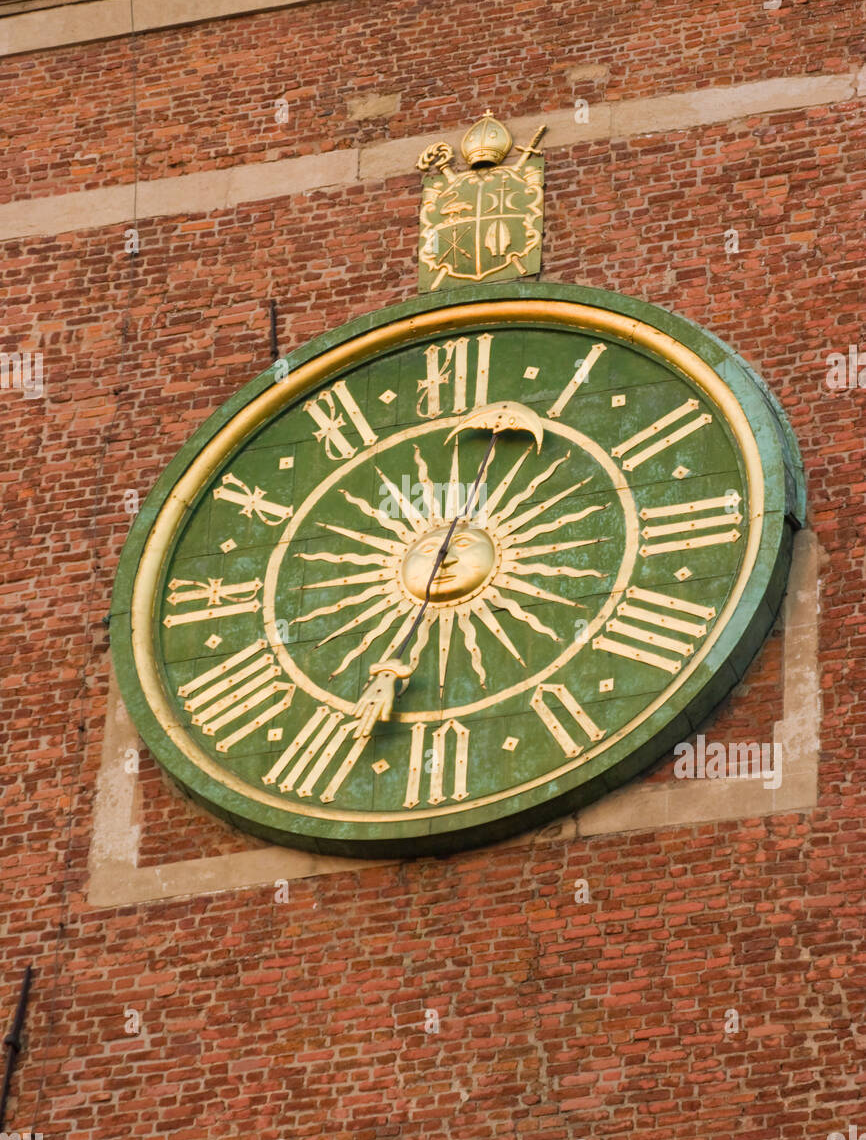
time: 12:32
